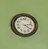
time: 4:13
